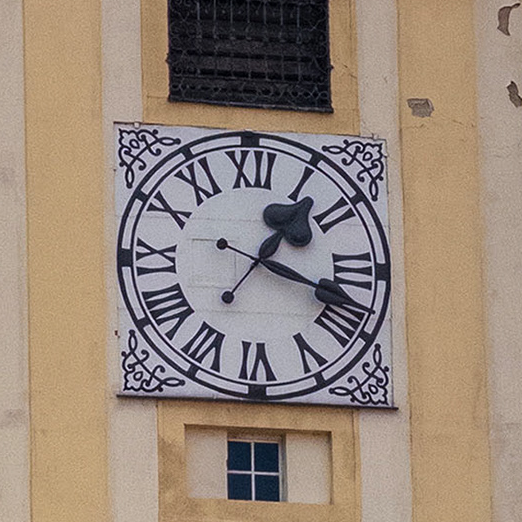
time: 1:18
